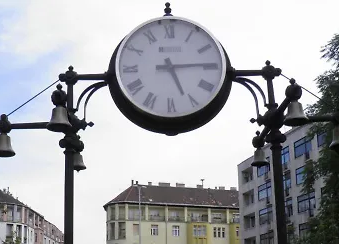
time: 5:14
